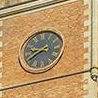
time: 8:39
